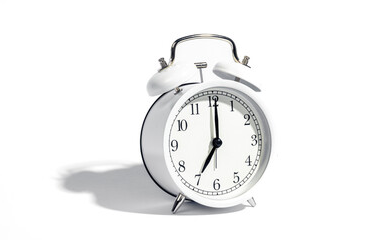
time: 7:00
